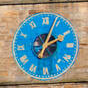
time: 2:03
